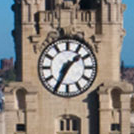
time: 1:34
